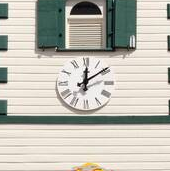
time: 12:08
